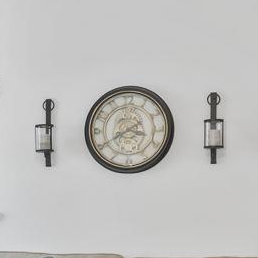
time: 3:40
